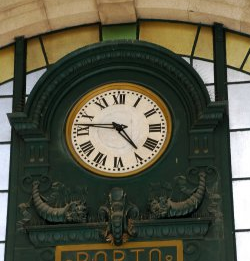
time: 4:46
